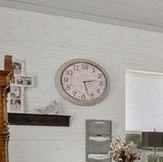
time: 2:27
